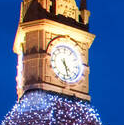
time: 4:26
